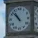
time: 10:52
